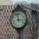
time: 2:58
